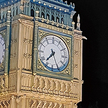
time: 7:25
